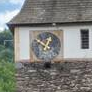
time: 12:49
